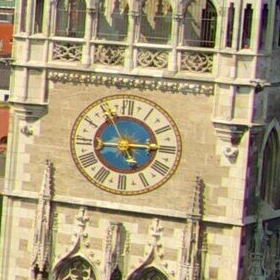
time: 5:14
